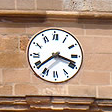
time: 3:38
